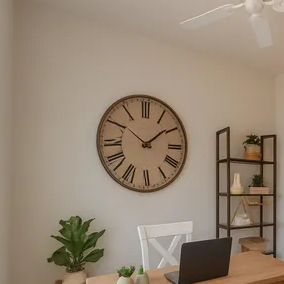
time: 1:50
